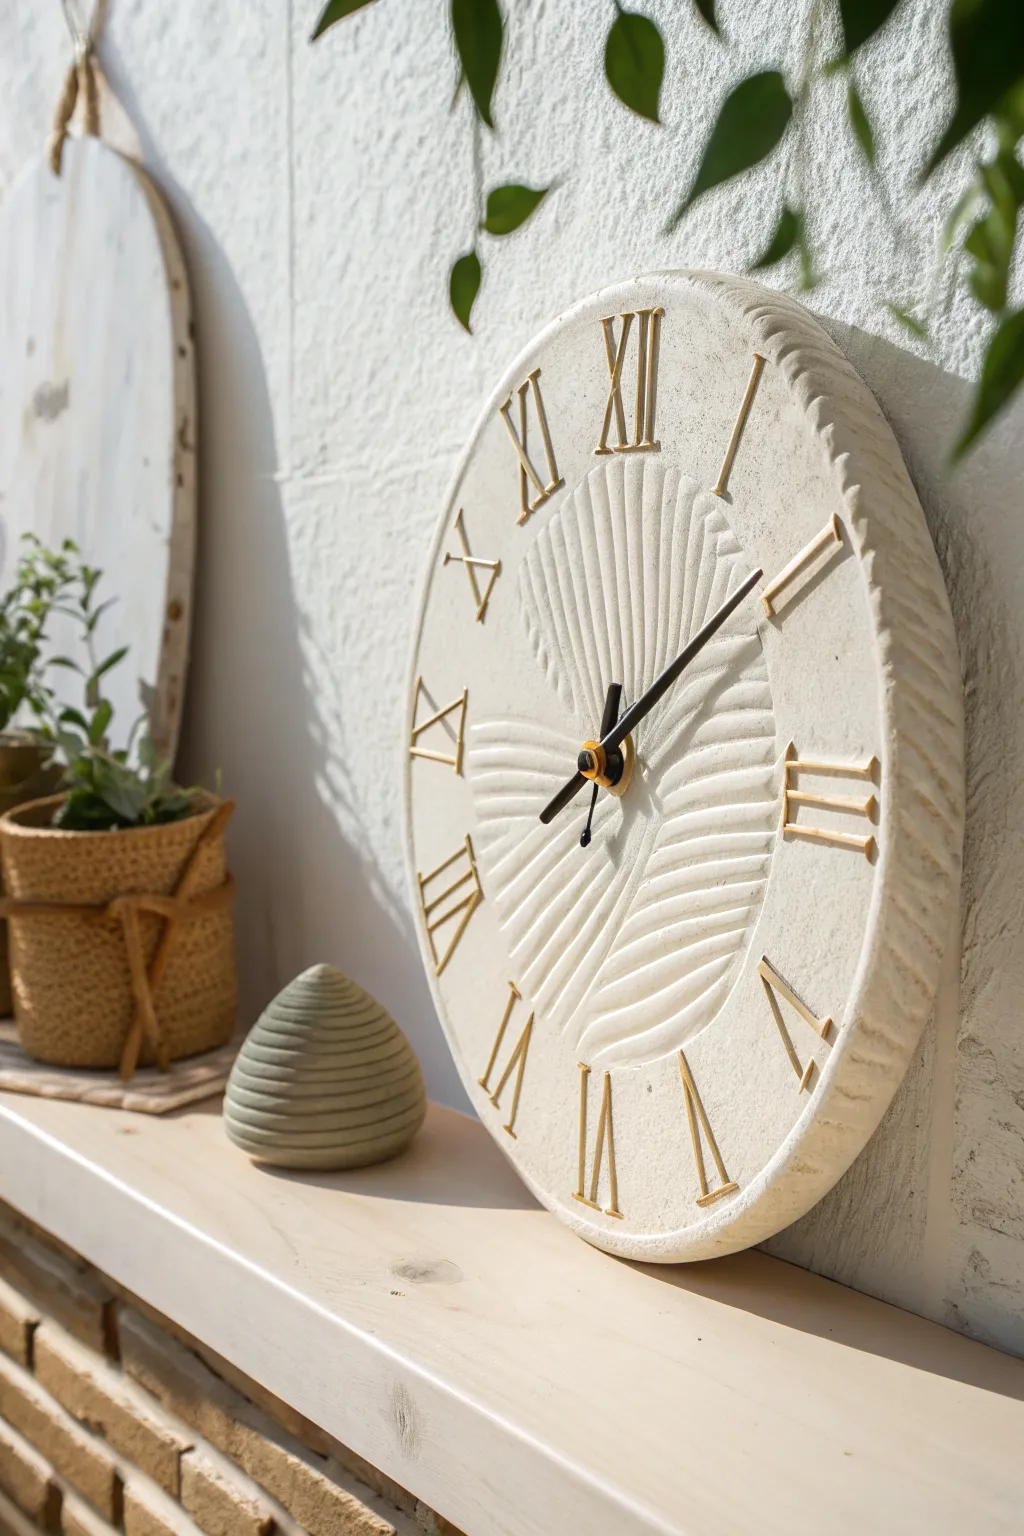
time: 8:09
